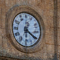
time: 12:20
